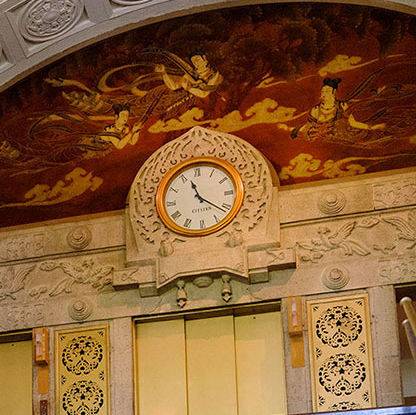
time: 11:21
